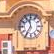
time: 11:35
